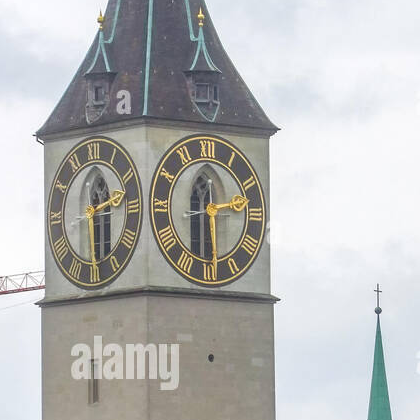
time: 2:29
